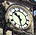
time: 10:28
